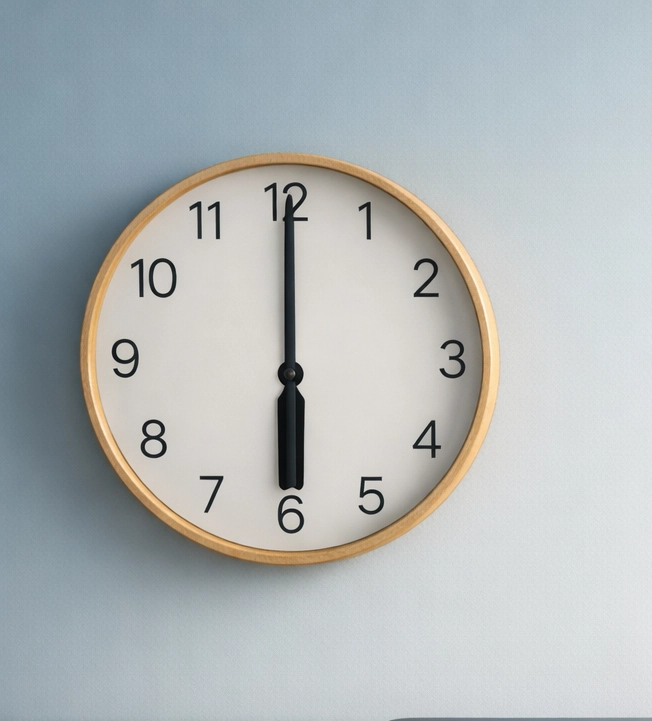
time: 6:00
